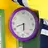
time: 5:41
